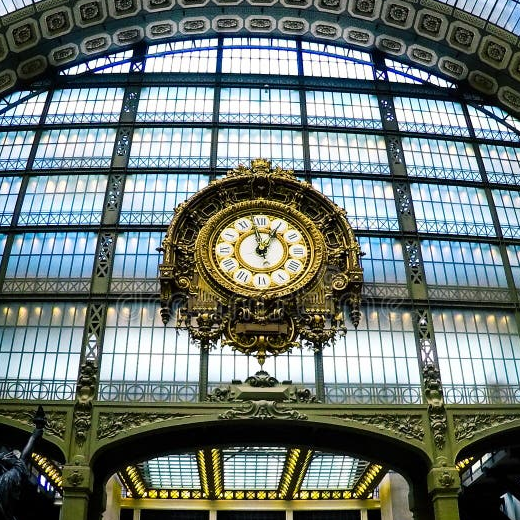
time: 12:57
